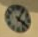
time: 4:04
